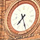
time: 7:27
